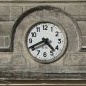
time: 4:40
